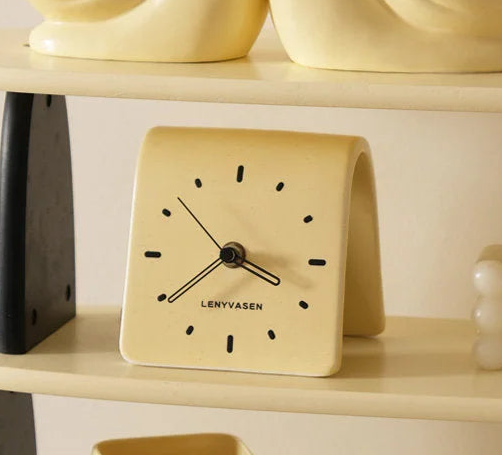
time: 3:39
